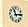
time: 11:13
